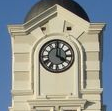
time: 4:00
